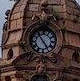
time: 4:54
